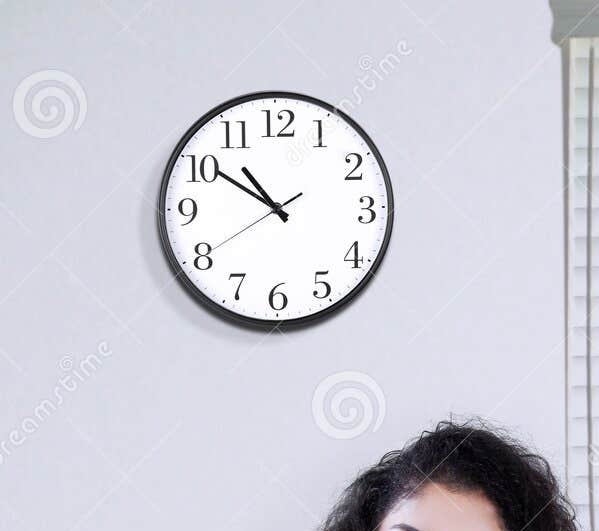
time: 10:50
